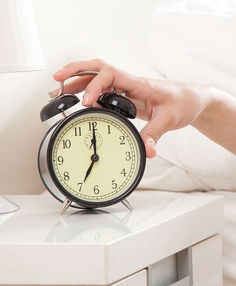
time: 7:00
